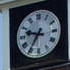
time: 9:35
